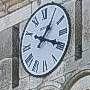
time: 1:18
